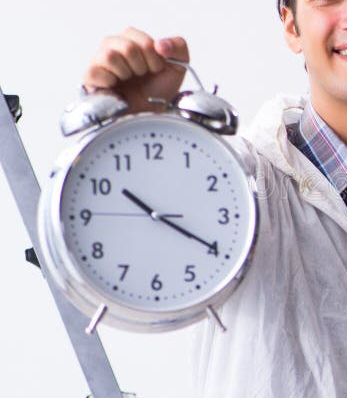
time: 10:19
